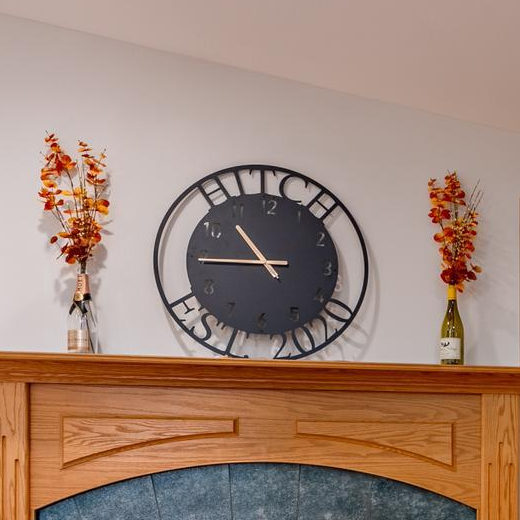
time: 10:45
